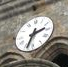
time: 2:33
